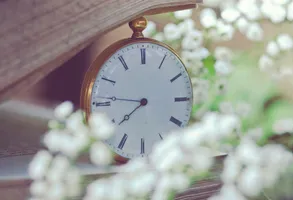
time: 7:45
